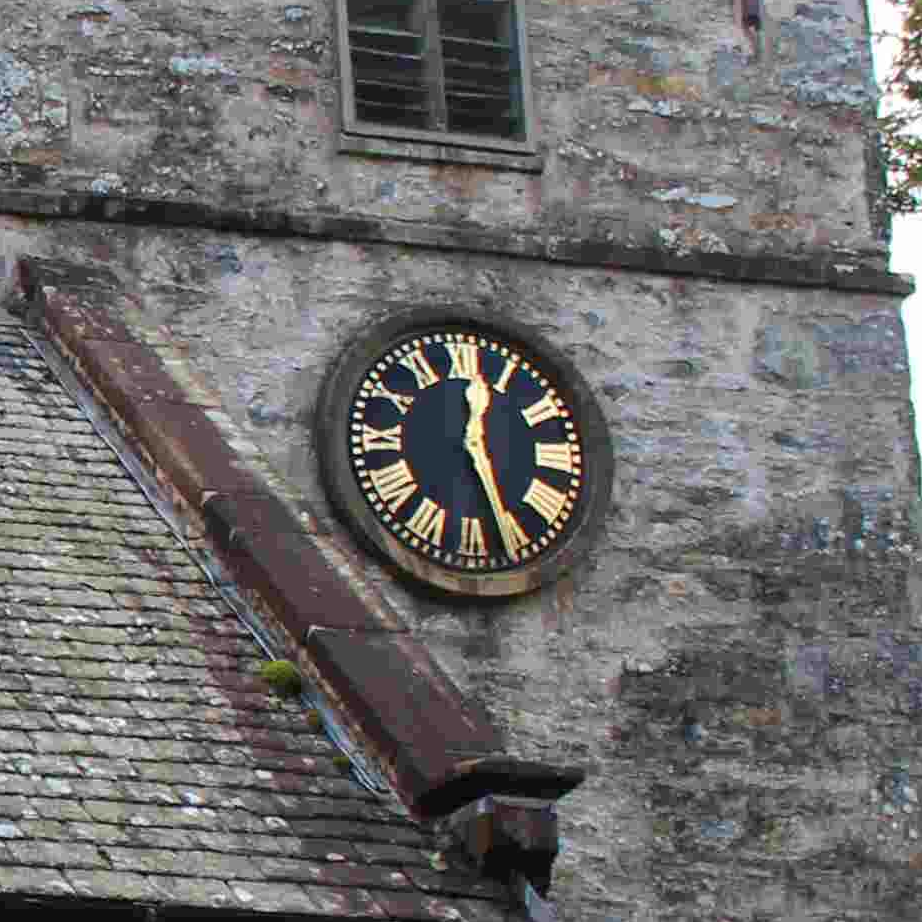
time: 12:26
